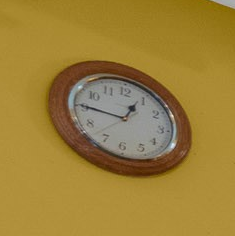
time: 12:45
